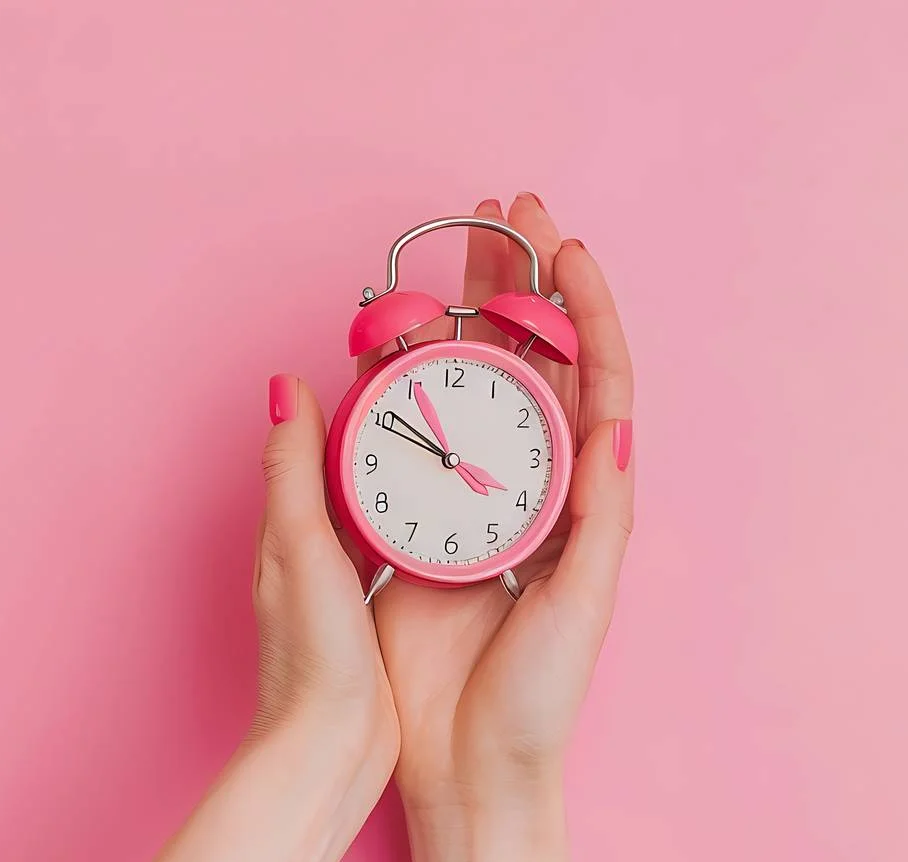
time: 10:50
